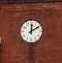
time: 12:10
